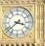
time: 3:38
